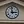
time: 2:58
